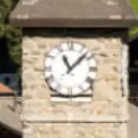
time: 11:07
